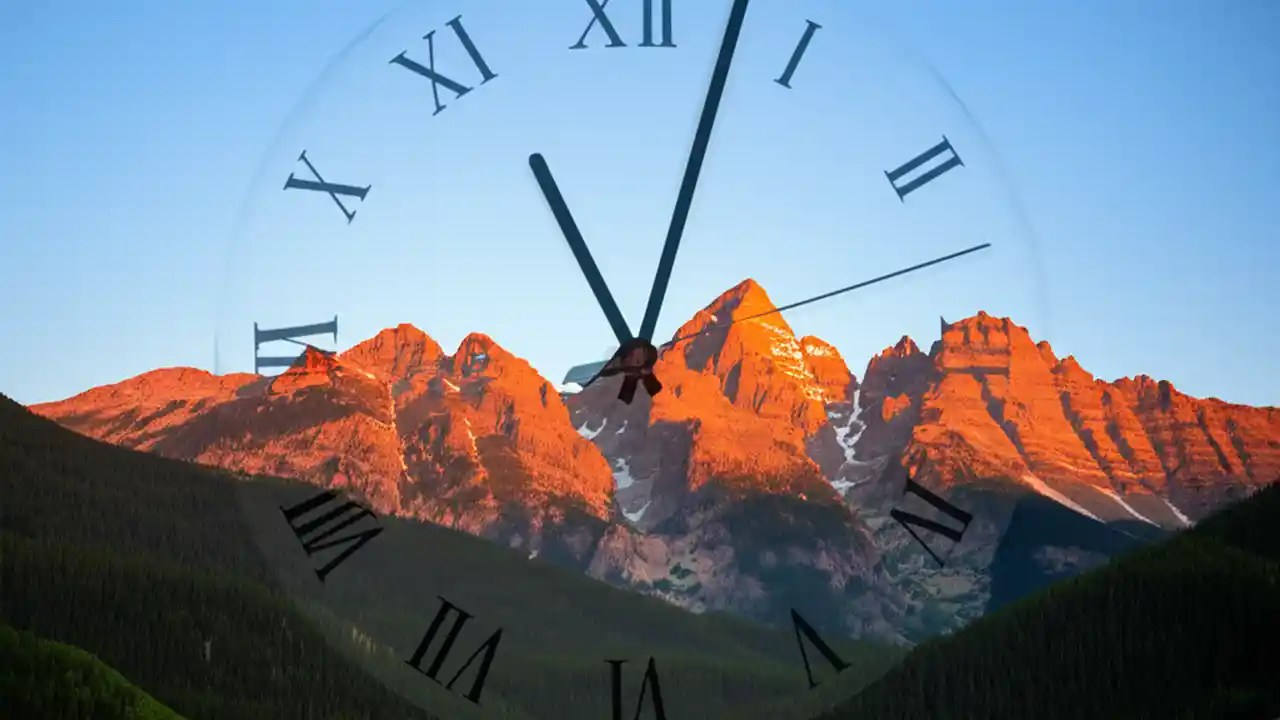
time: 11:03
